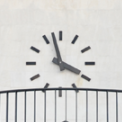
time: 3:57
